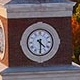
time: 4:29
